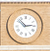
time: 2:52
